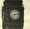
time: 7:13
